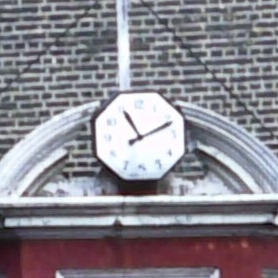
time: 11:11
